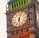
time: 6:03
